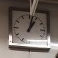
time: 1:02
